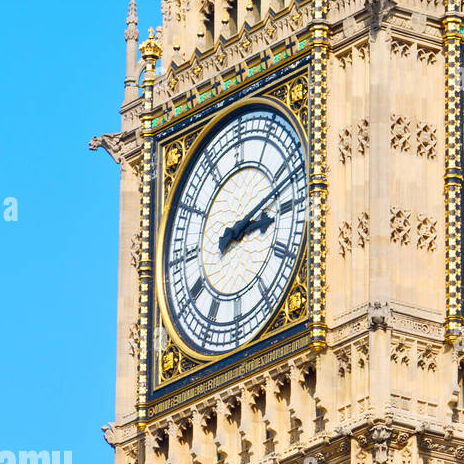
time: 3:12
